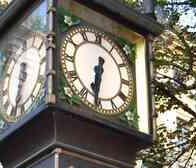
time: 6:31
